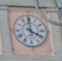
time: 3:59
